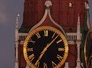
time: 7:07
